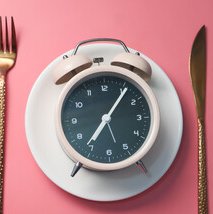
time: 7:06
